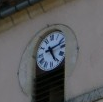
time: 5:12
